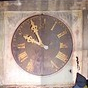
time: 9:55
